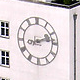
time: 2:13
